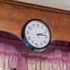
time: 2:13
